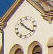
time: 10:20
